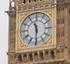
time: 11:30
